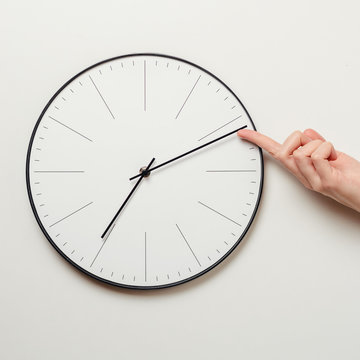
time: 7:11
